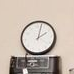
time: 2:02
